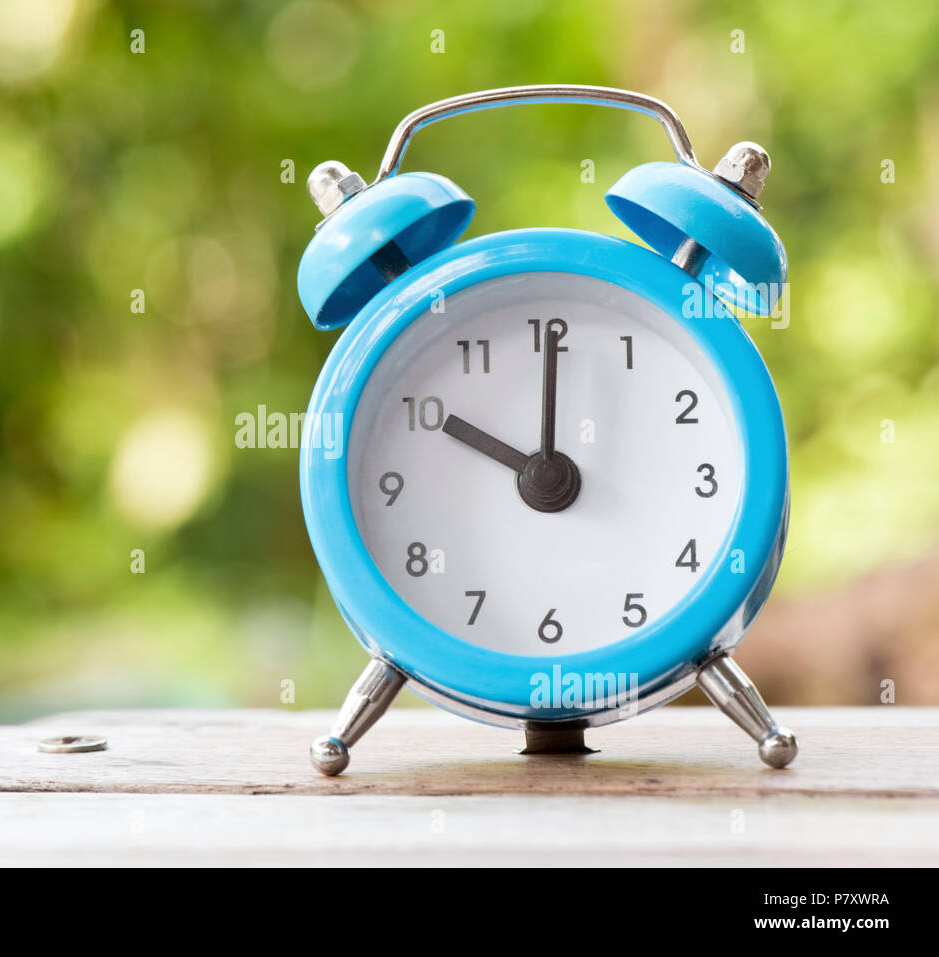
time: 10:00
